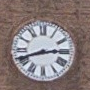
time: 2:41
